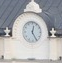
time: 12:25
